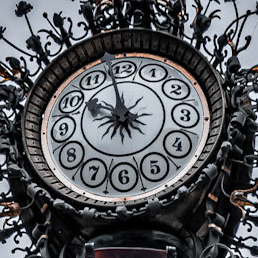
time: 9:58
